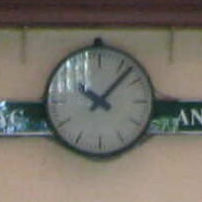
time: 10:07
